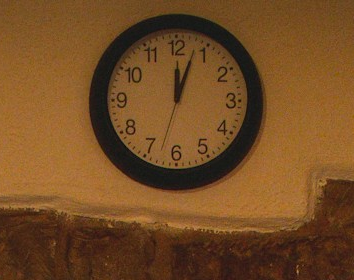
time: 12:03
